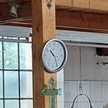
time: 10:24
